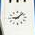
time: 9:07
